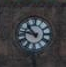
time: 10:47
